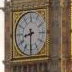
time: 8:30
